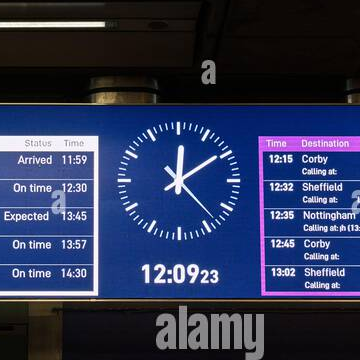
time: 12:09
